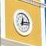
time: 12:13
